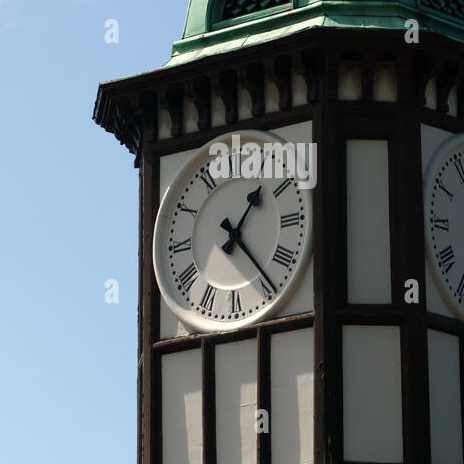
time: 1:23
